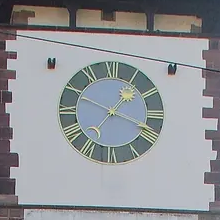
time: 1:18
